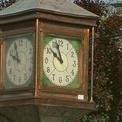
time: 9:57
